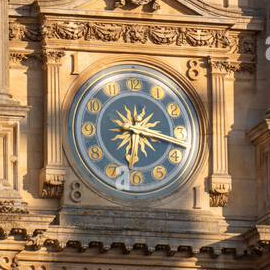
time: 6:17
